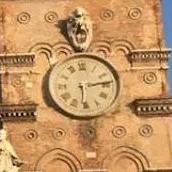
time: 6:13
